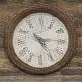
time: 10:24
